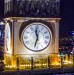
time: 11:32
